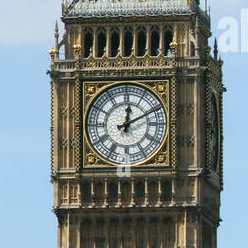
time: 12:10
